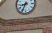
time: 8:34
